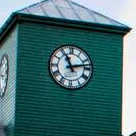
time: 11:12
